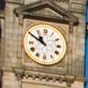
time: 10:50
